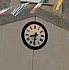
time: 8:31
